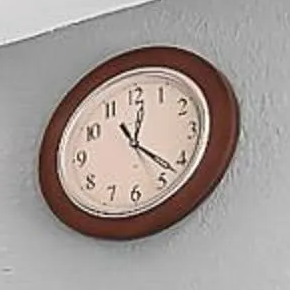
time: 12:22
